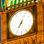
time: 7:04
